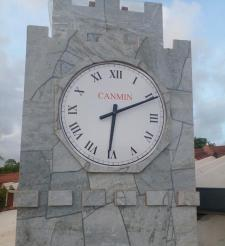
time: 6:10
